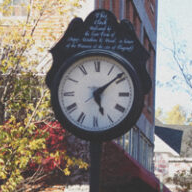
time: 5:08
